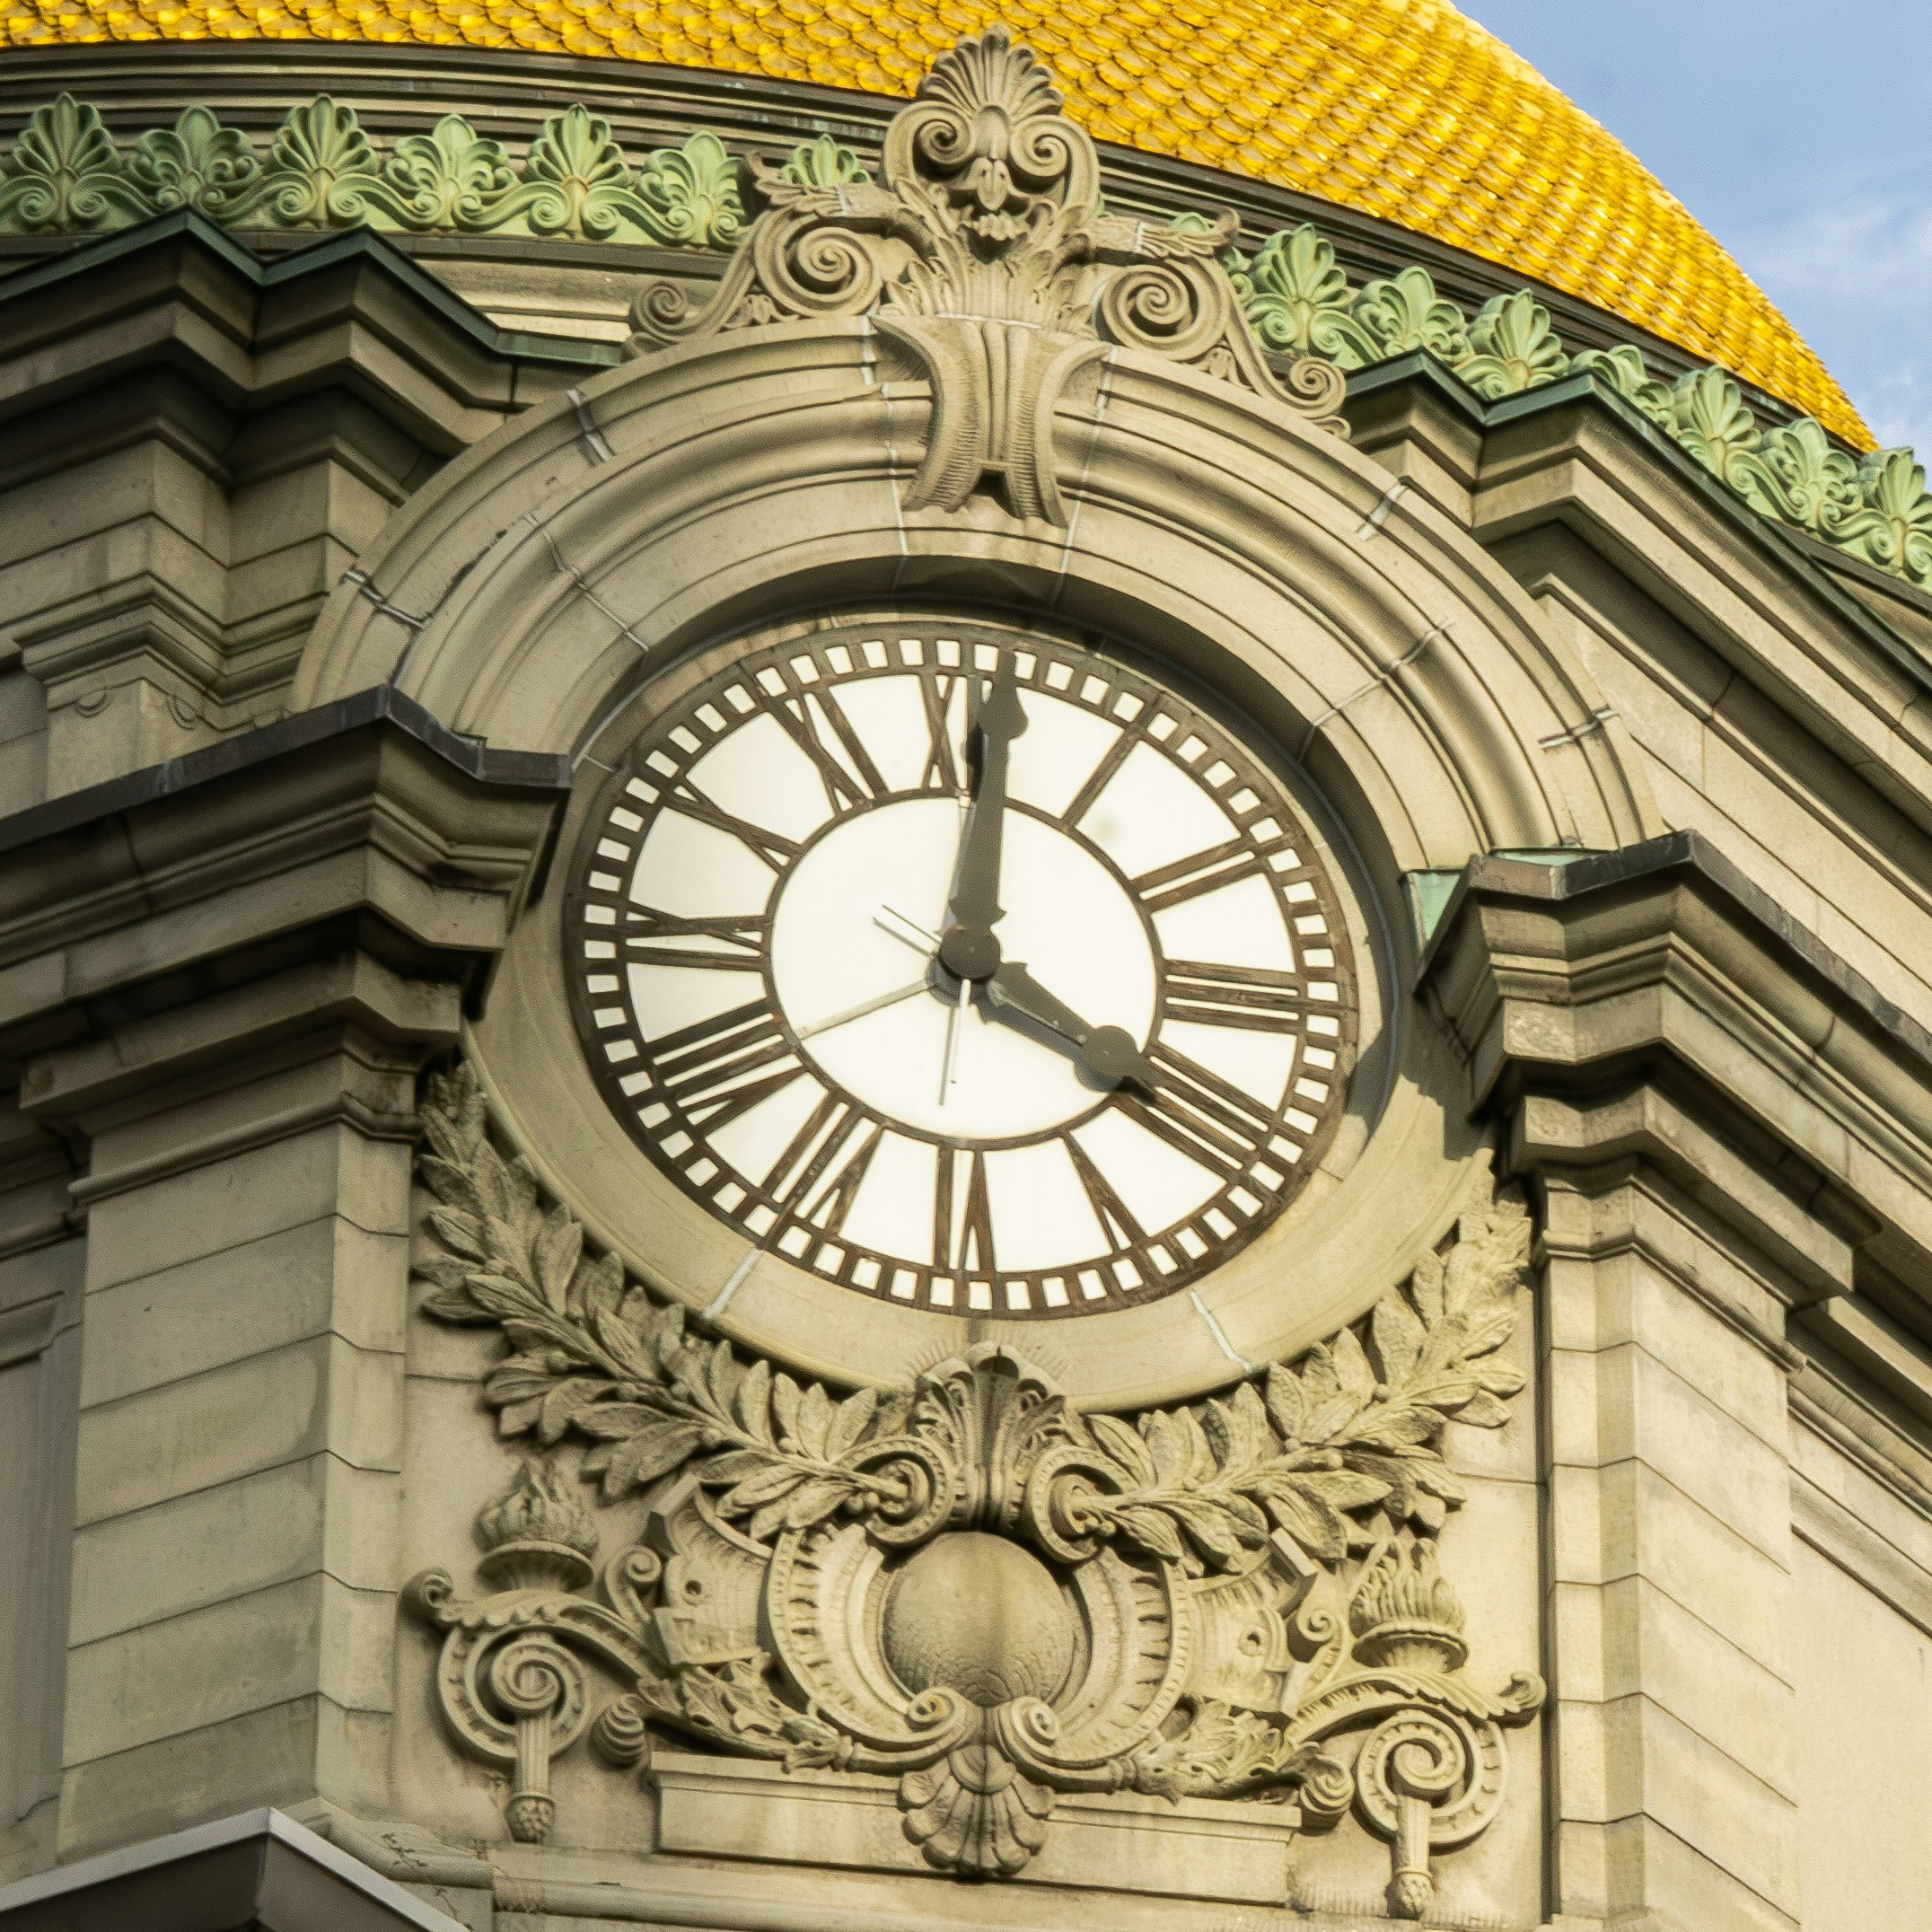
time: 4:00
